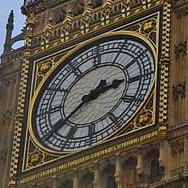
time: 2:39
